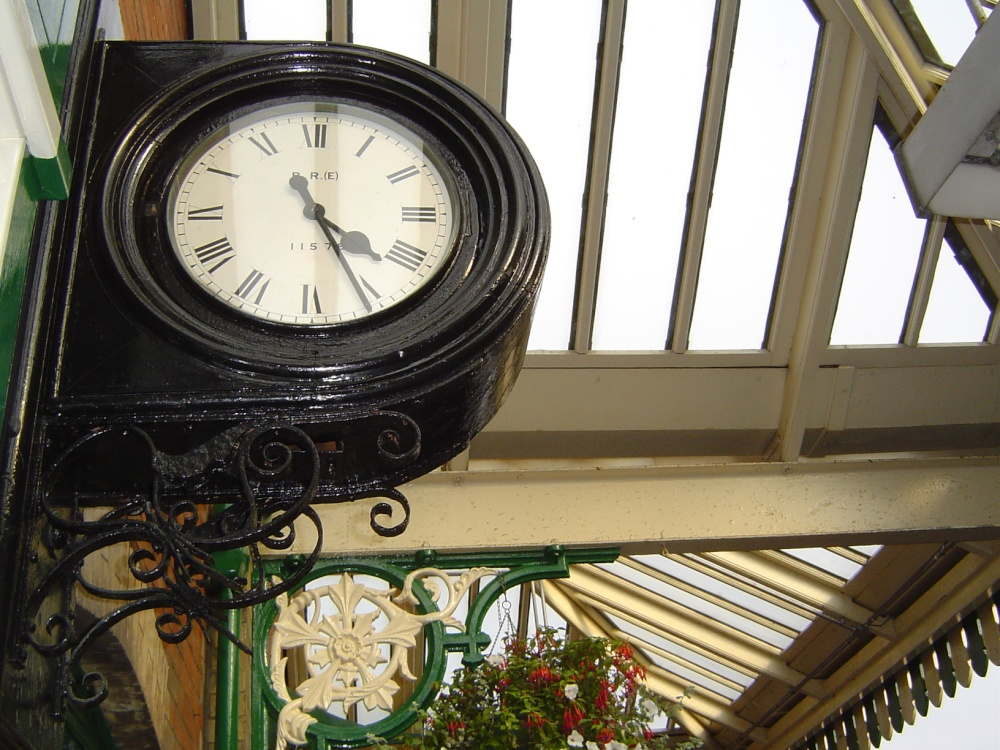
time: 4:26
